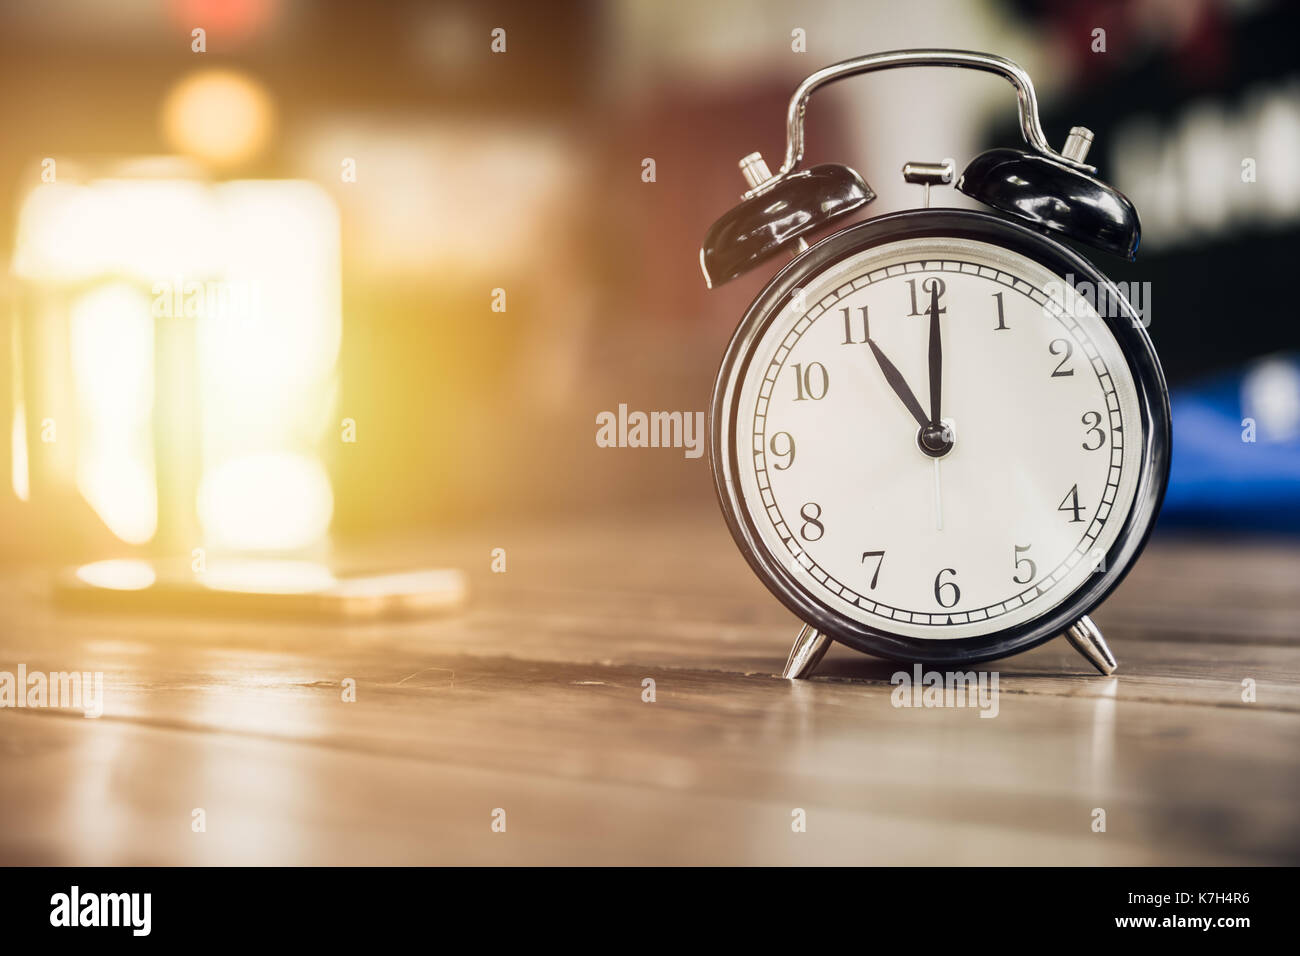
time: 11:00
